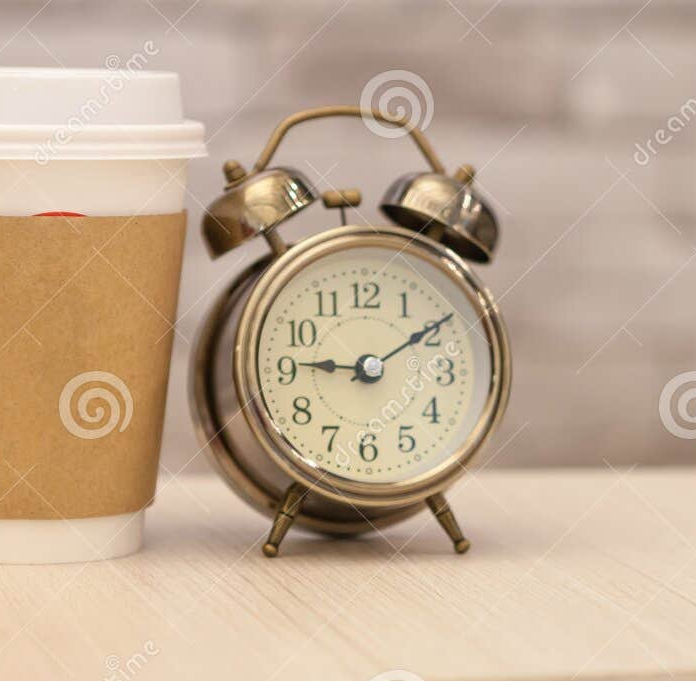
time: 9:09
